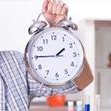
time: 1:45
